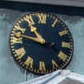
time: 10:47
